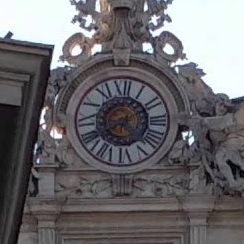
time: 8:11
